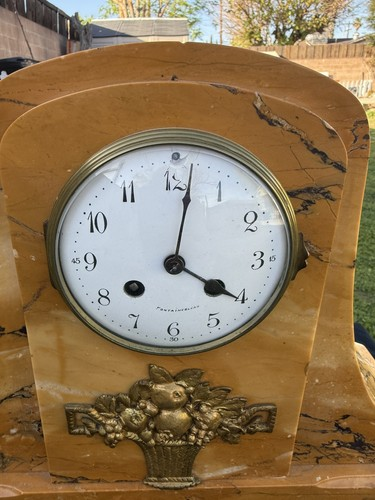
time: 4:01
